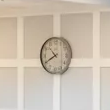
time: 10:40
